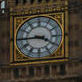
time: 3:44
